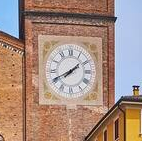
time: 1:40
